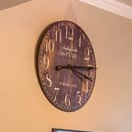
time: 3:13
